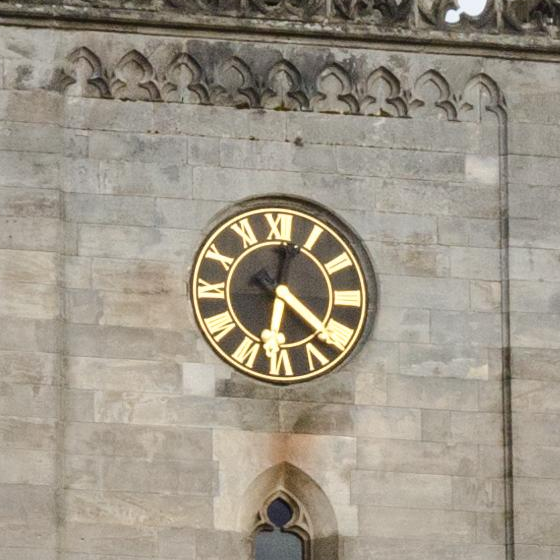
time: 6:21
